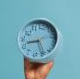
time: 8:25
